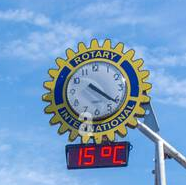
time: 4:20
